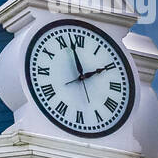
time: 1:57
